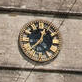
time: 12:37
